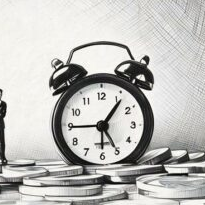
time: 5:06
